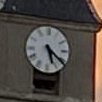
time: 5:21
